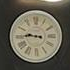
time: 9:45
